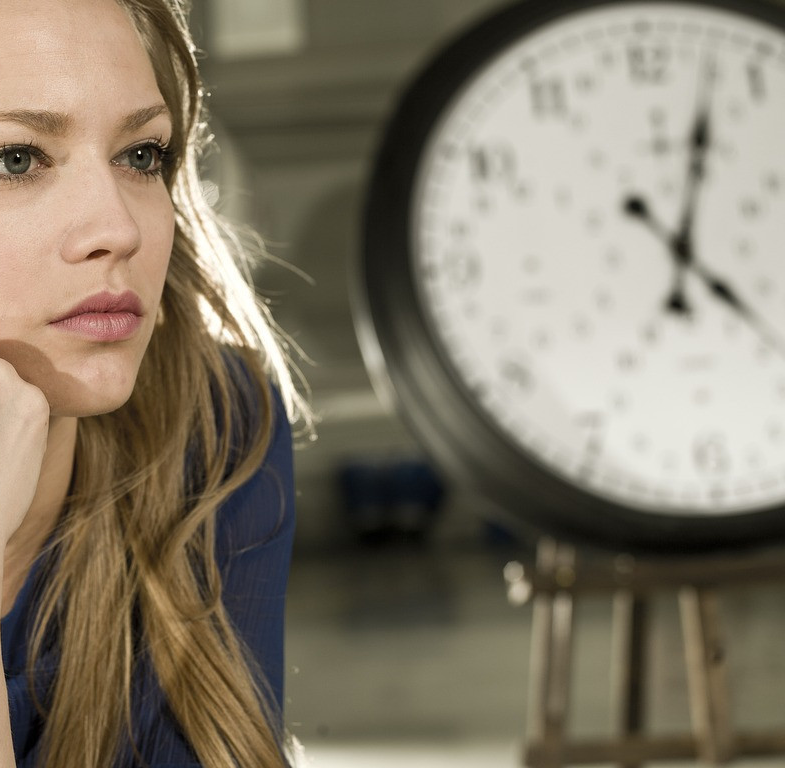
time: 4:03
